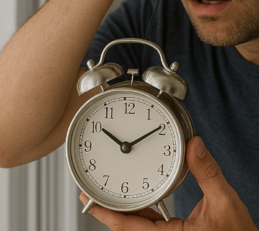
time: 10:09
